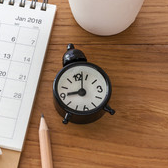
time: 9:01
